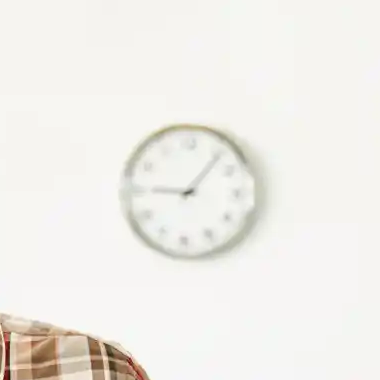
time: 9:06
